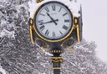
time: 10:42
